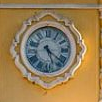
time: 5:21
